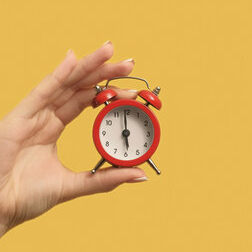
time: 5:59
